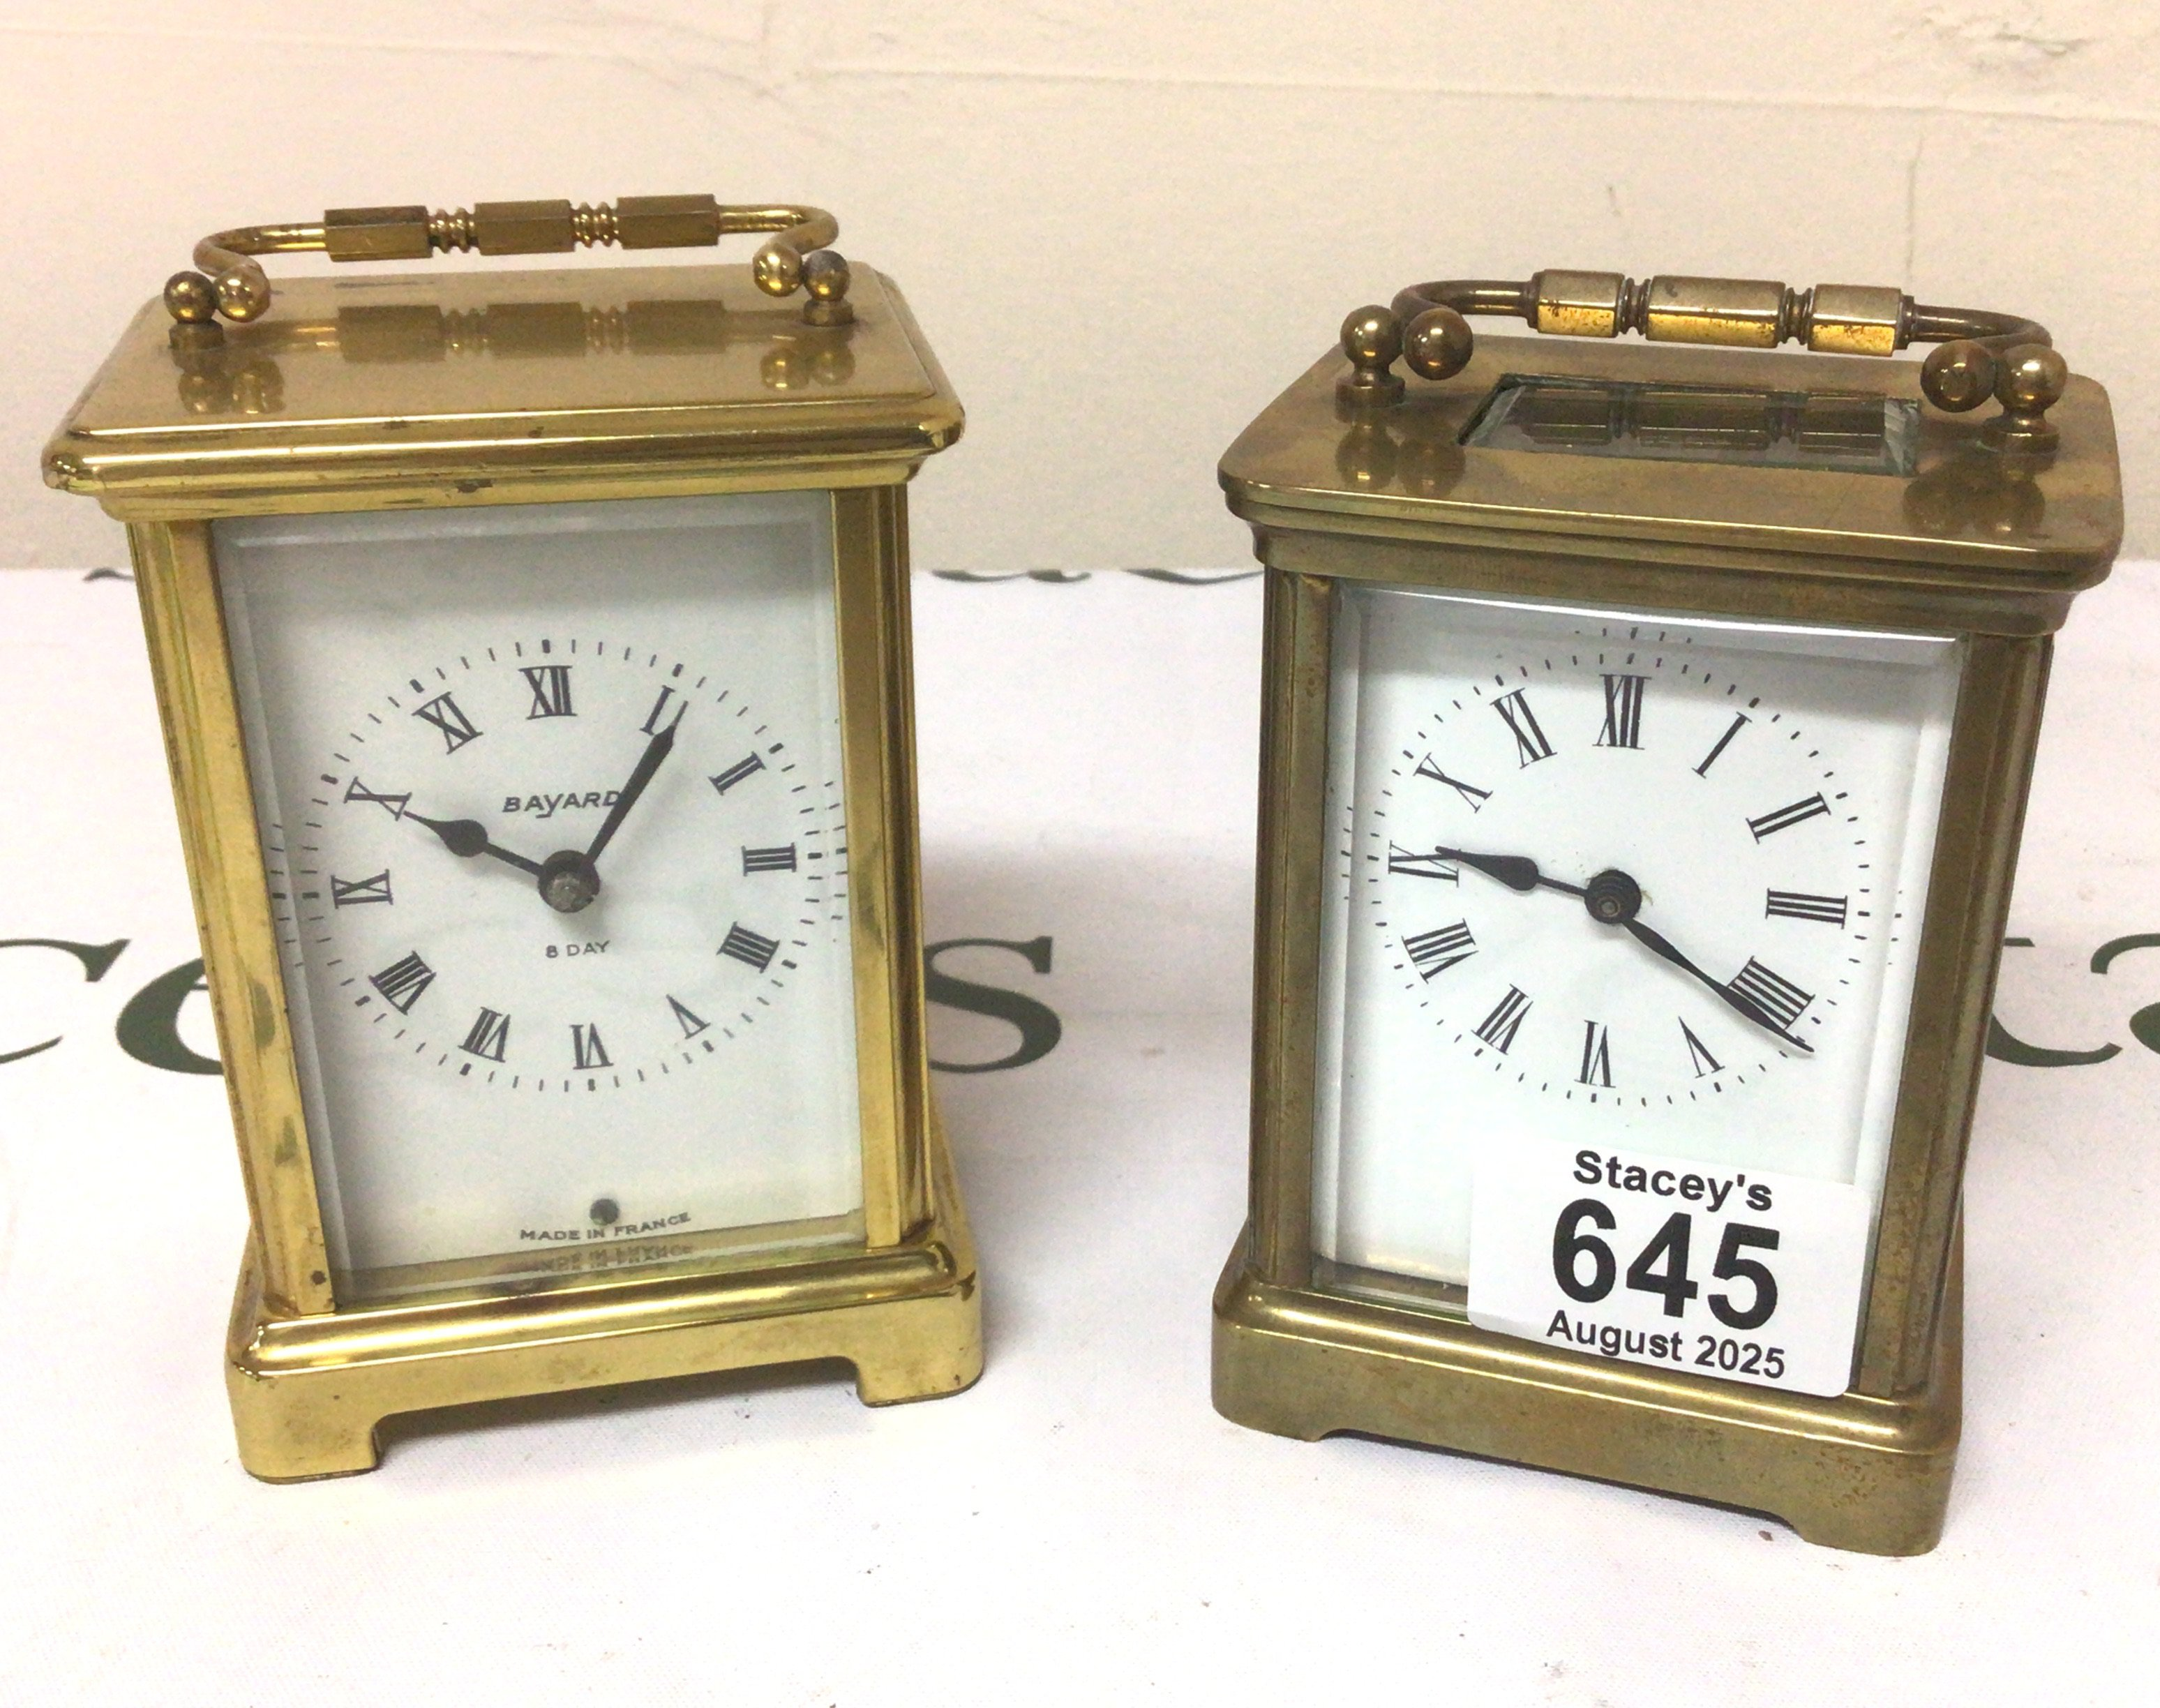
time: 10:06
